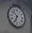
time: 6:51
